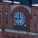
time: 11:42
